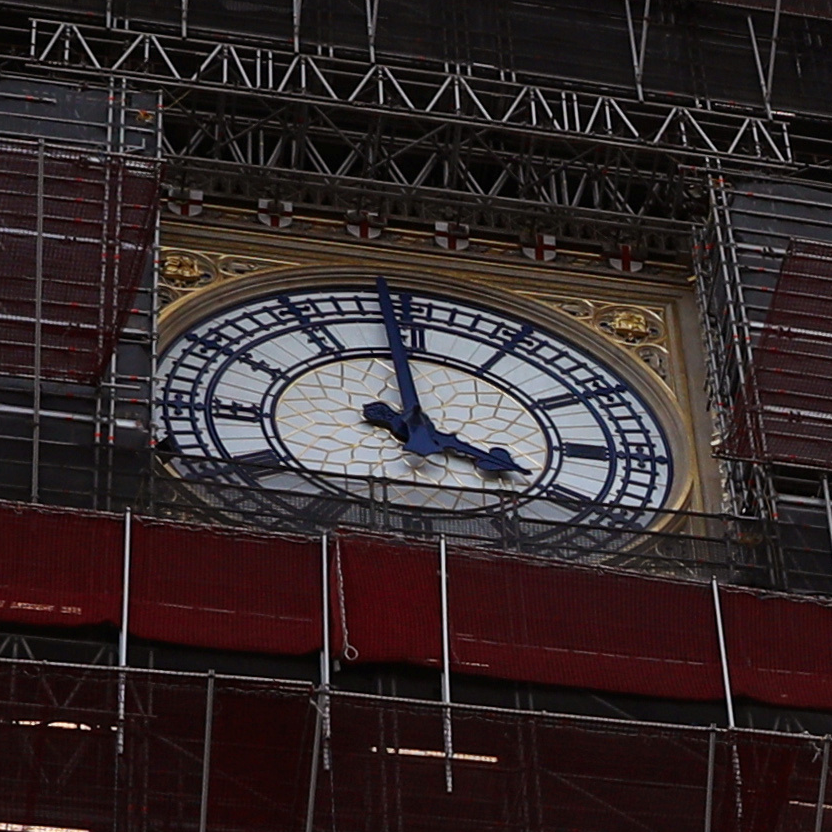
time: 3:58
